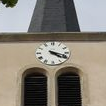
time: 4:18
